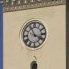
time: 3:55
